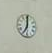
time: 7:00
